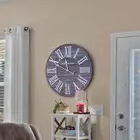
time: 11:49
